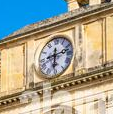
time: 2:30
